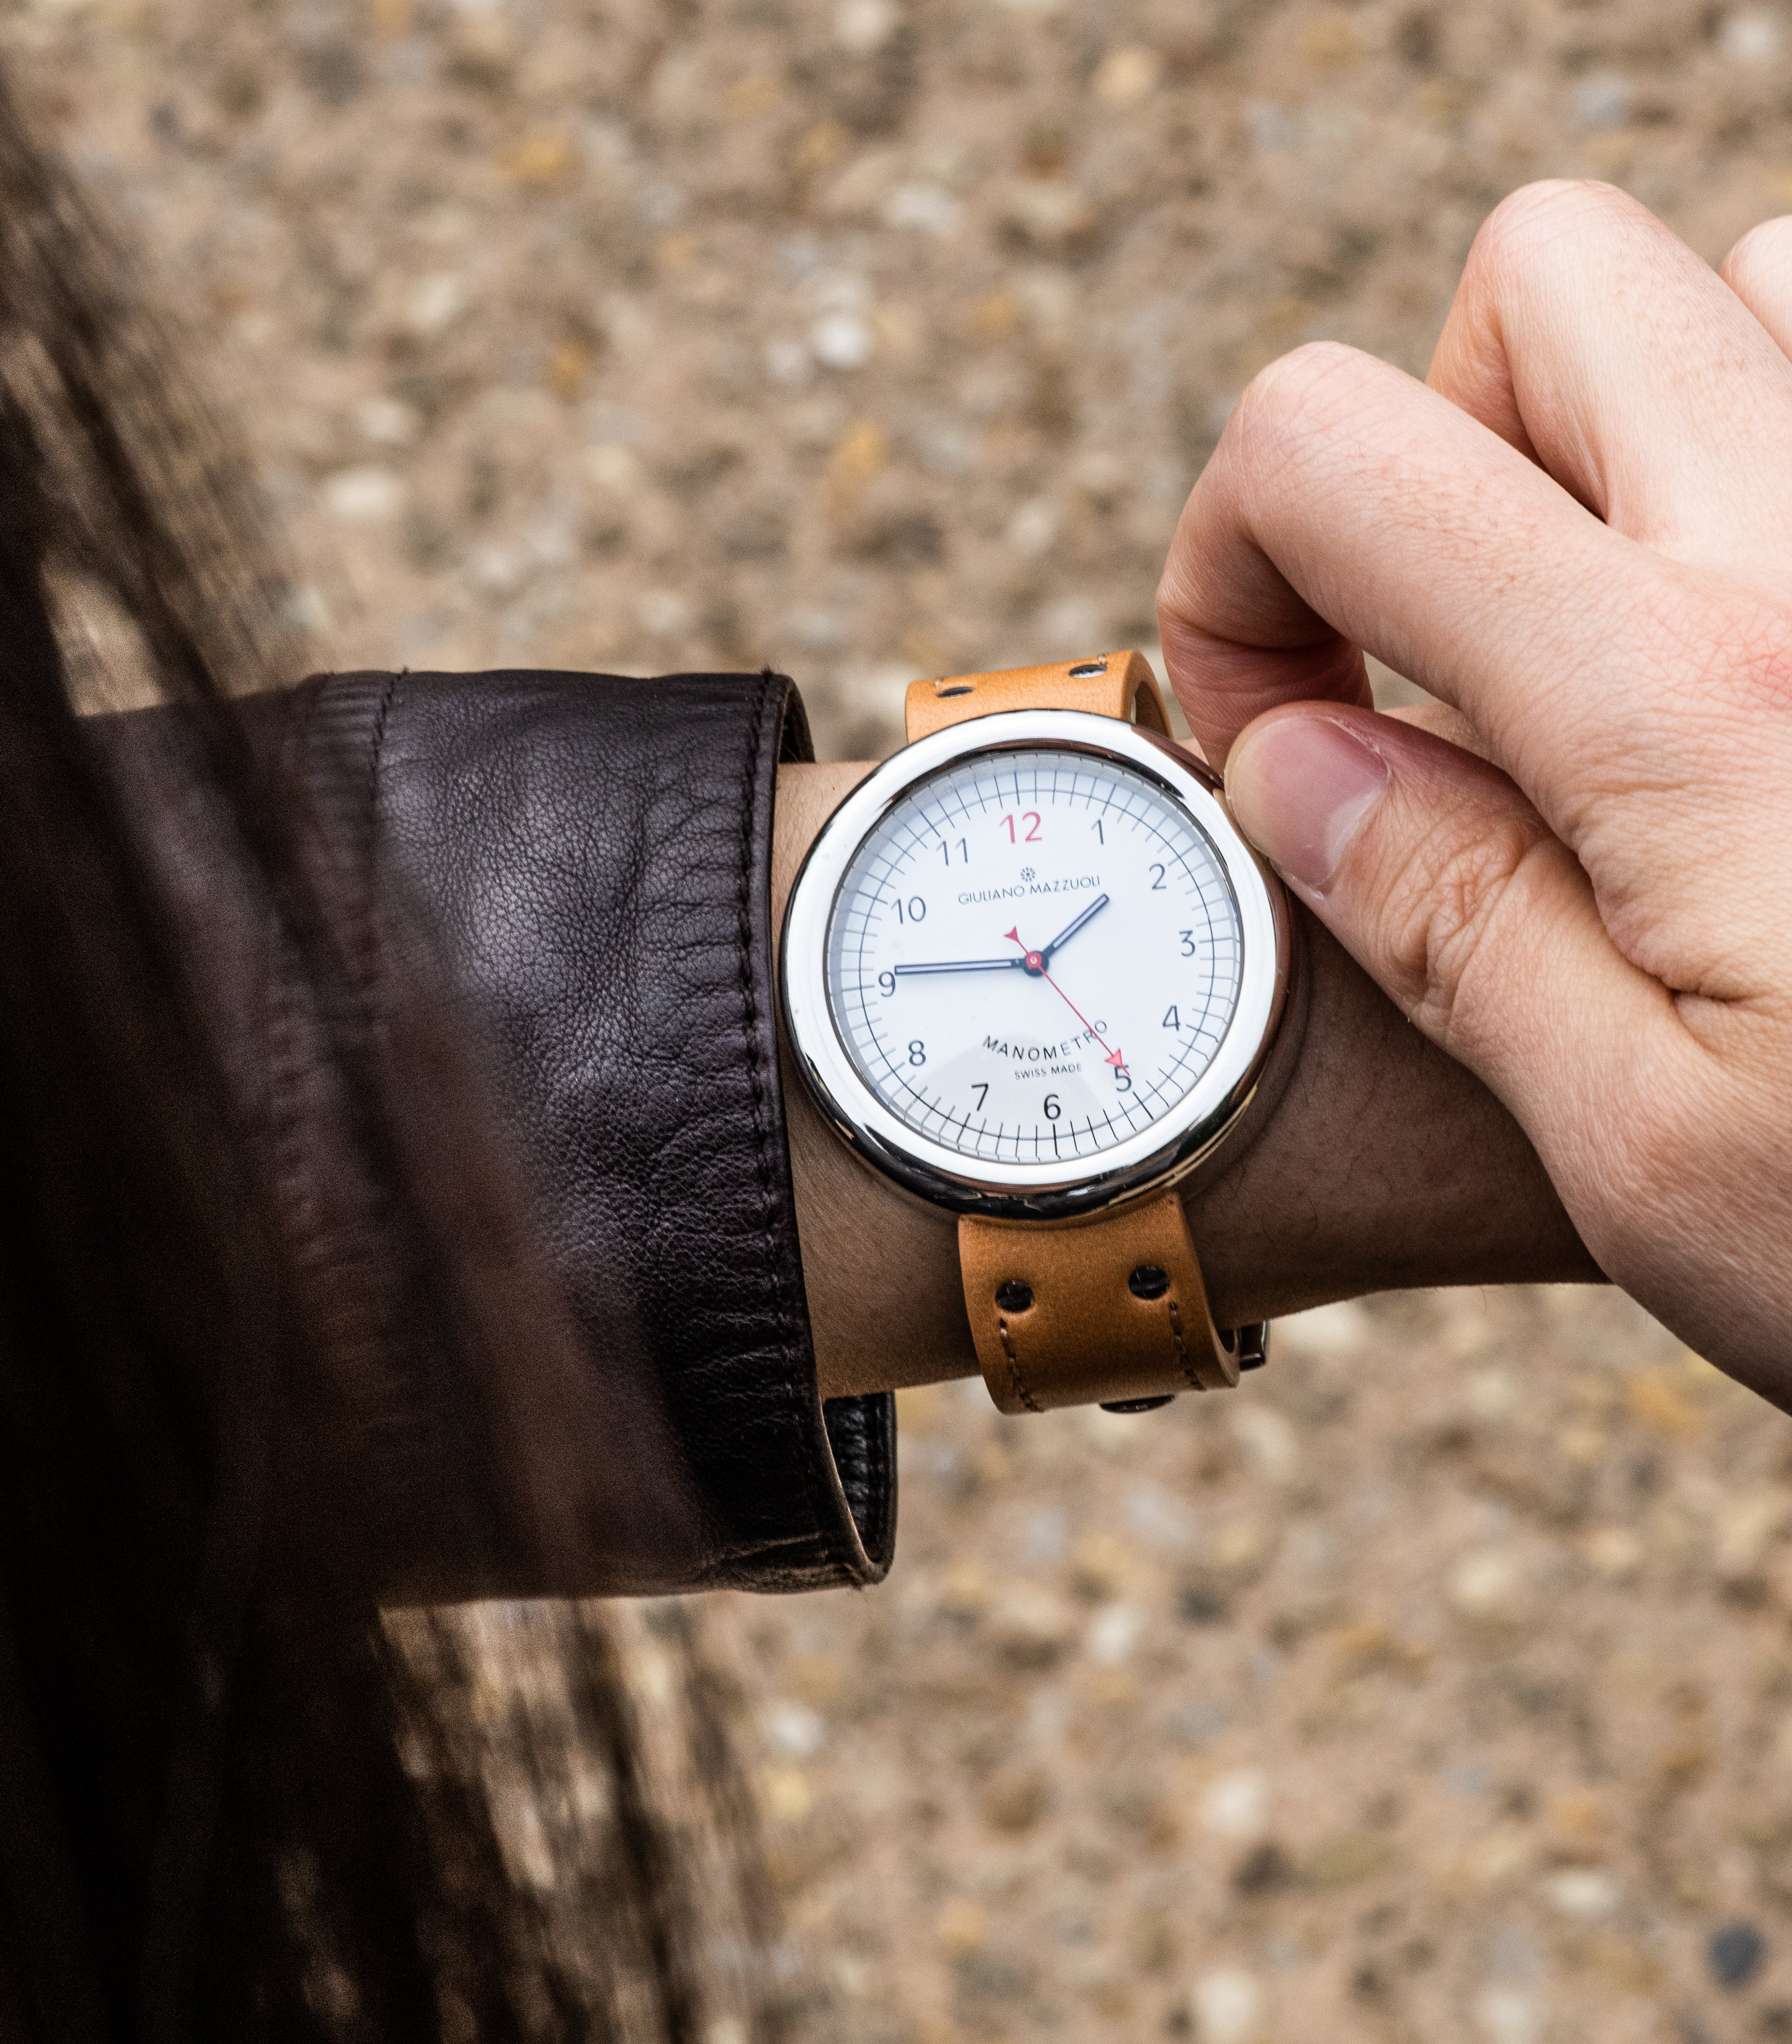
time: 1:45
